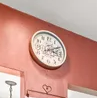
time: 3:10
